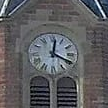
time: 12:19
